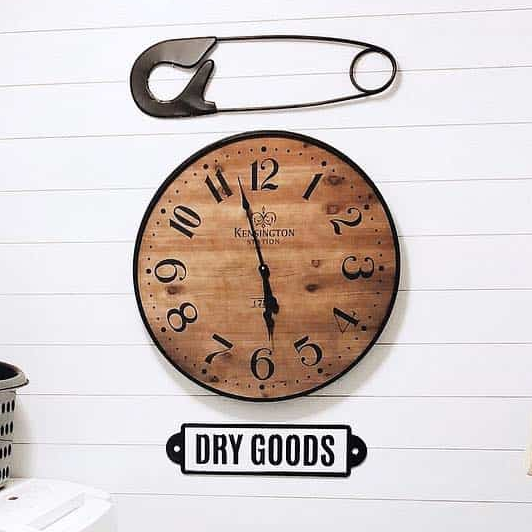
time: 5:57
